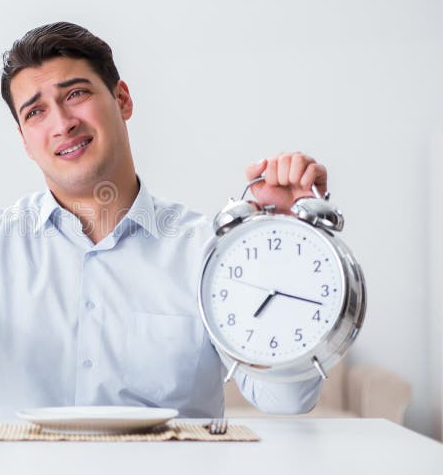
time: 7:17
